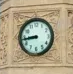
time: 8:43
